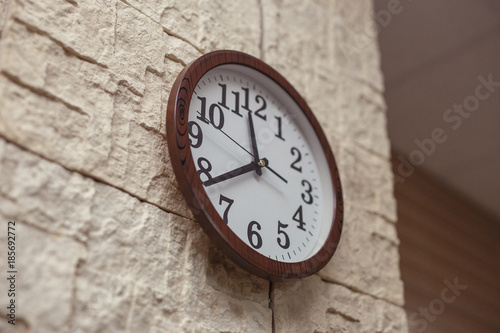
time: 11:38
